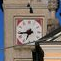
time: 6:43
